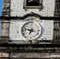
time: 6:47
